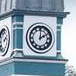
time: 2:00
